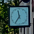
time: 11:35
